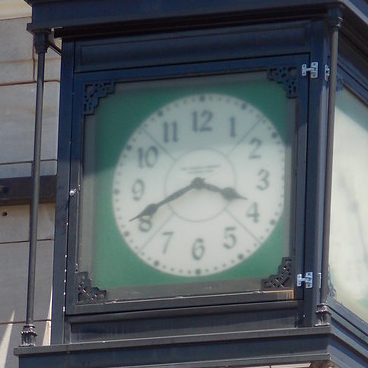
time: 3:40
